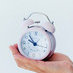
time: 9:53
